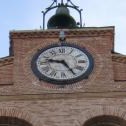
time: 9:25
